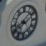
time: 8:07
